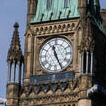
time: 11:25
